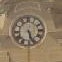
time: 5:26
